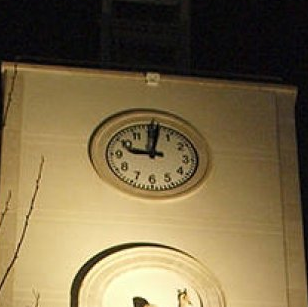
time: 9:01
